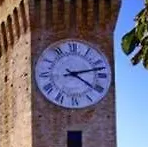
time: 4:12
